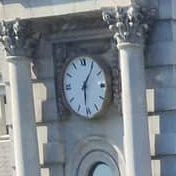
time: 6:06
